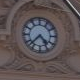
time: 4:37
